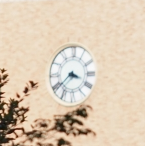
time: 3:38
